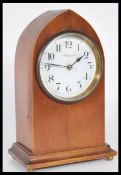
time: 1:46
